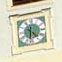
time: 4:31
